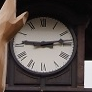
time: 9:13
